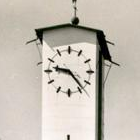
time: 9:23
